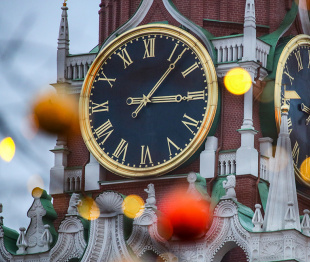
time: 3:06
